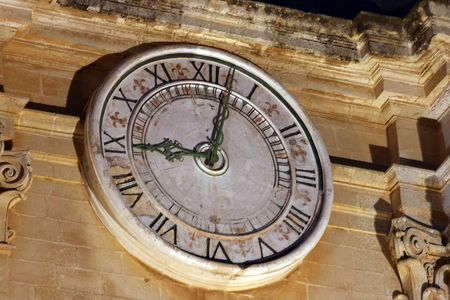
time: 9:02
